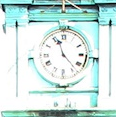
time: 11:22
